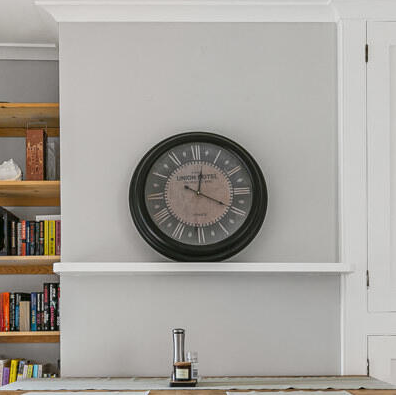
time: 12:19
